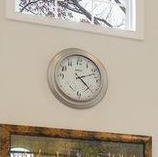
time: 2:22
